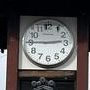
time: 2:45
